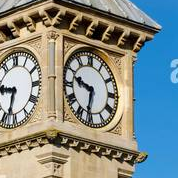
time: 9:32
